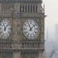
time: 11:07
